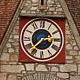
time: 2:37
